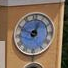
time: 12:49
